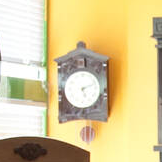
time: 5:11
